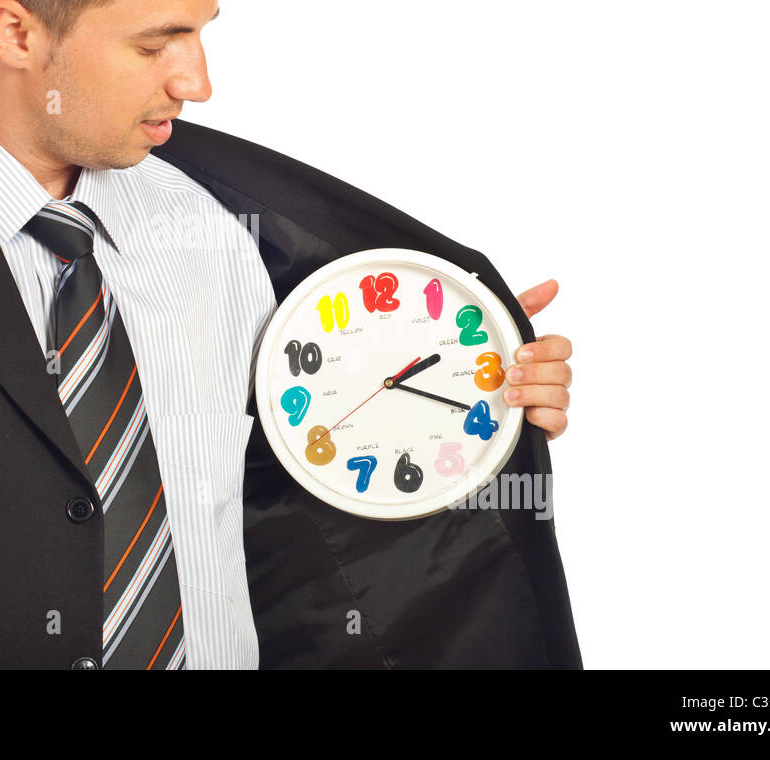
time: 2:19
